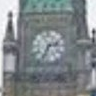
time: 2:33
